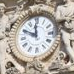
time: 11:49
